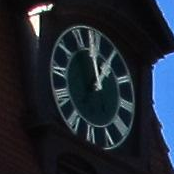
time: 12:58
